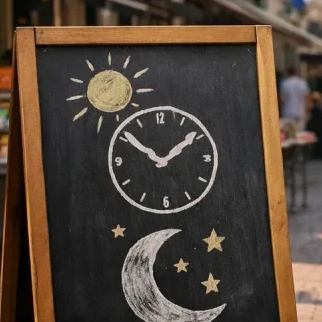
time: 1:51
